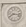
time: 8:16
